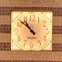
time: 10:52
